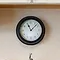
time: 11:07
